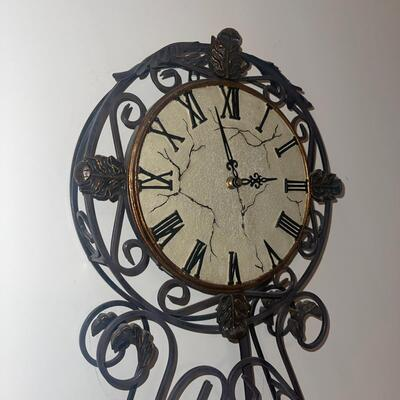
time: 2:57
